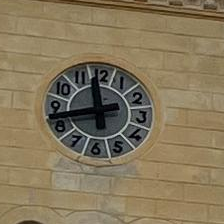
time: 11:42
